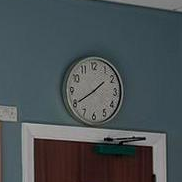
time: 1:40
